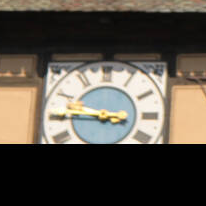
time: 9:45
